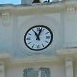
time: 11:02
